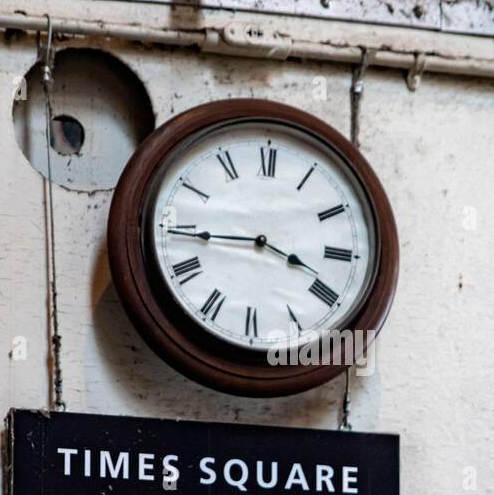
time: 3:44
